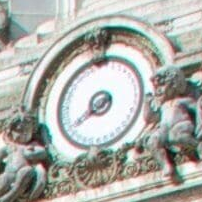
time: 7:38
